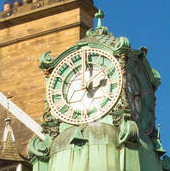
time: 2:00
